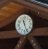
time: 11:26
